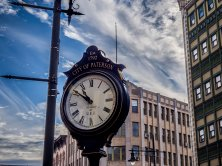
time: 10:50
